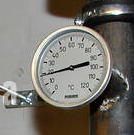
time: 2:45
